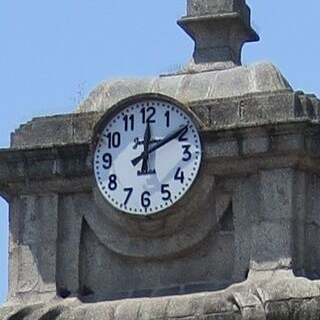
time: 12:10
